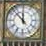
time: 11:52
